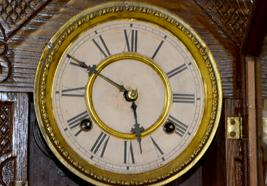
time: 5:50
